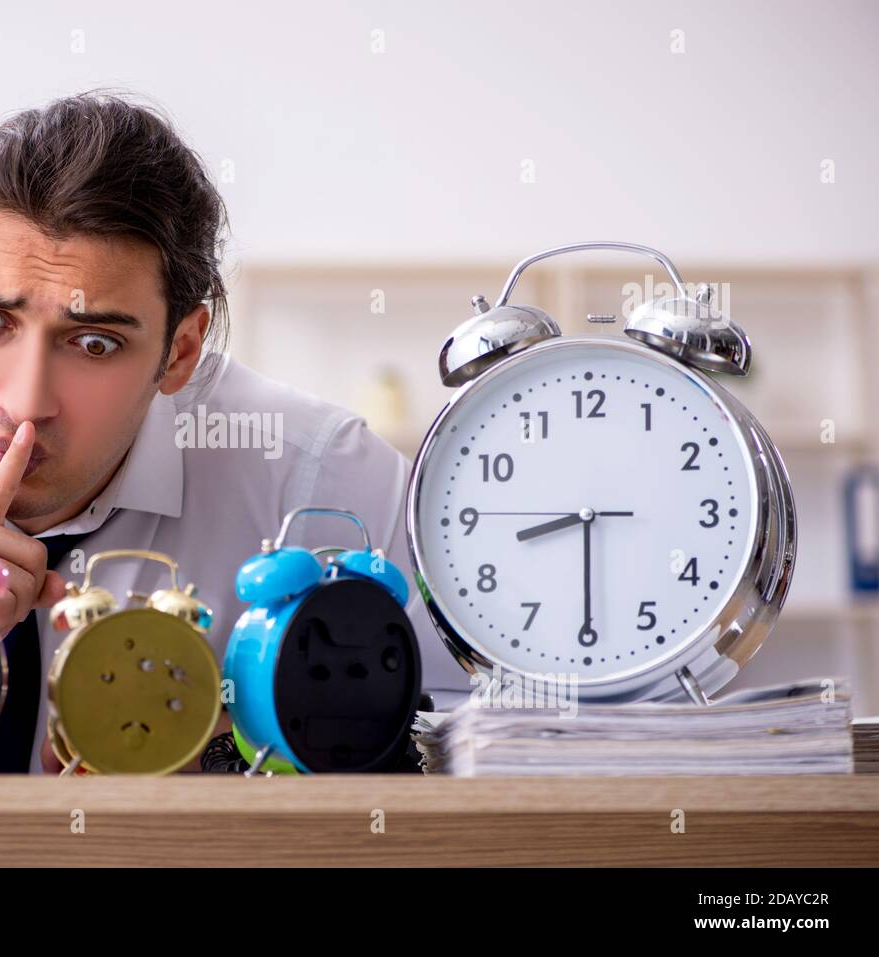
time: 8:29
